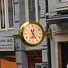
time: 12:24
